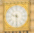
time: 9:30
